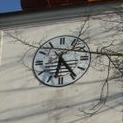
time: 6:24
